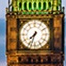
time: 7:33
